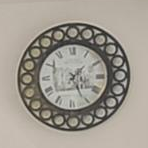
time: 1:25
